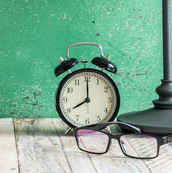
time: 8:00
